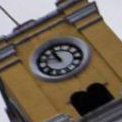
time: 10:46
